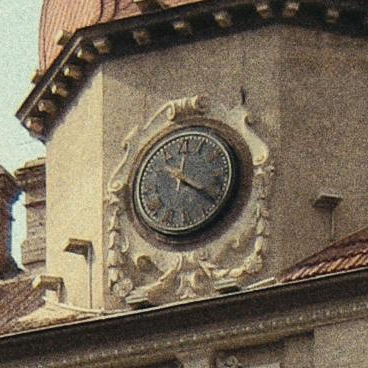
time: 4:21
